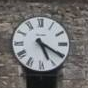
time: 5:20
